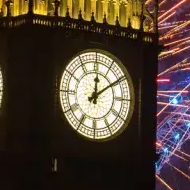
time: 12:09
